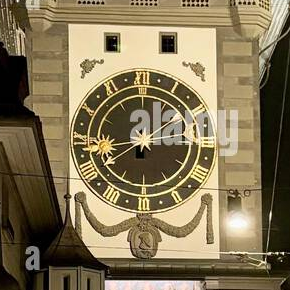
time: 12:14
